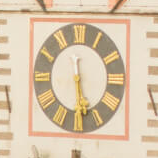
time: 5:29
